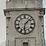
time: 6:07
